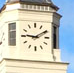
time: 9:10
